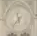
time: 11:37
